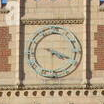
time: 4:18
